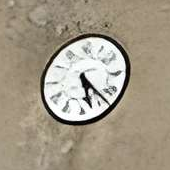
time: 5:23
